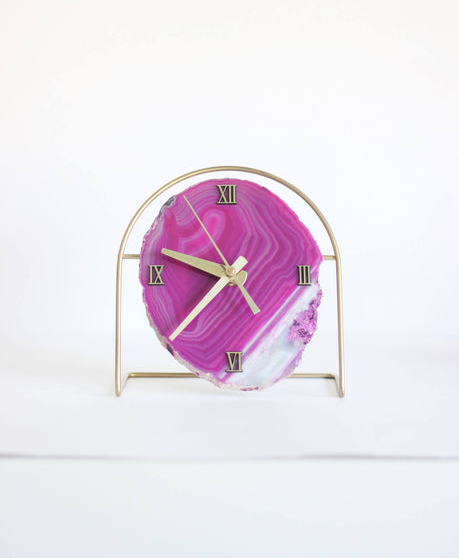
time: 9:38
